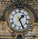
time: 1:26
